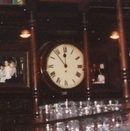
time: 11:53
